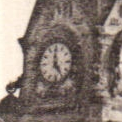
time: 4:59
